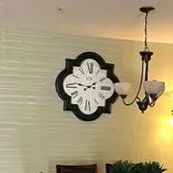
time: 1:46
